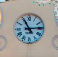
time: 11:13
